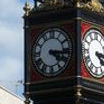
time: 4:16
